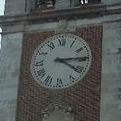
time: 4:14
